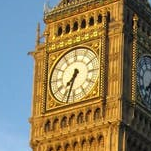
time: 7:33
